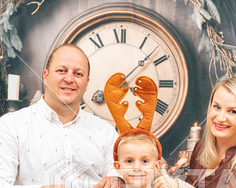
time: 5:07
